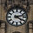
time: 4:12
